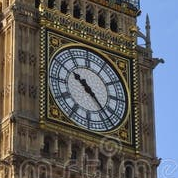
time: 10:22
